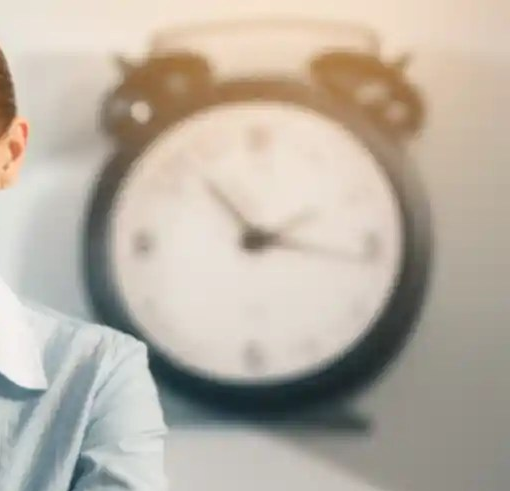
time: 2:16
